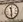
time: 11:28
